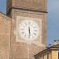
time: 5:29
